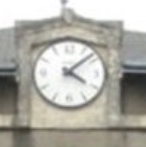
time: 4:08
